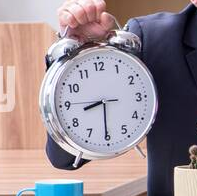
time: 8:30
